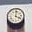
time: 4:02
